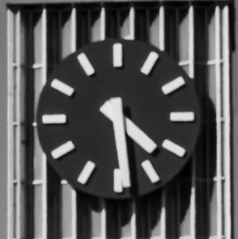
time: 4:29
